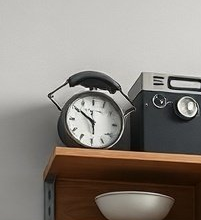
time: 5:51
